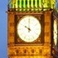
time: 10:00
